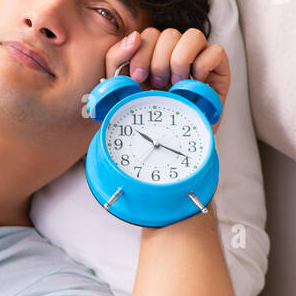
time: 10:18
